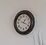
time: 1:18
